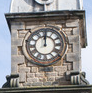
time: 12:00
